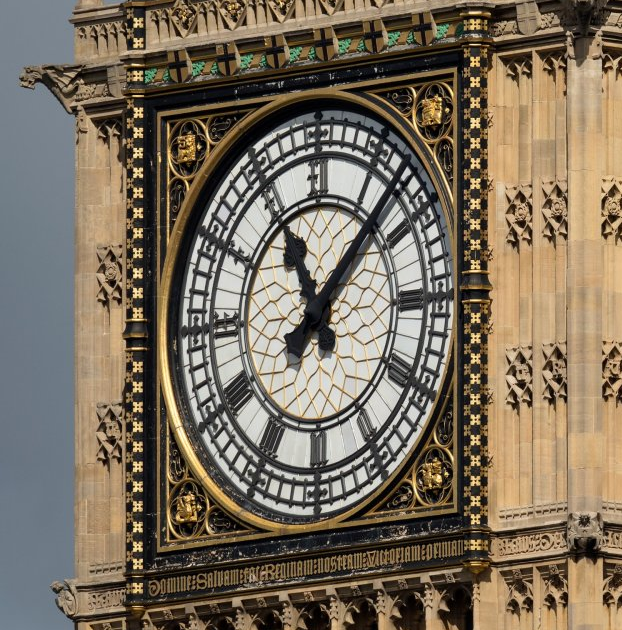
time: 11:07
